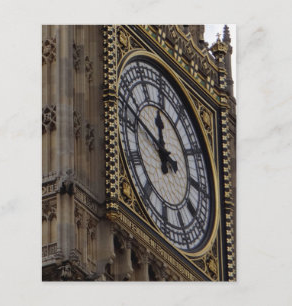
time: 11:46
